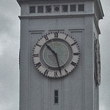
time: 10:27
